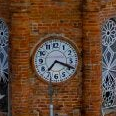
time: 7:18
